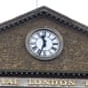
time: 11:33
